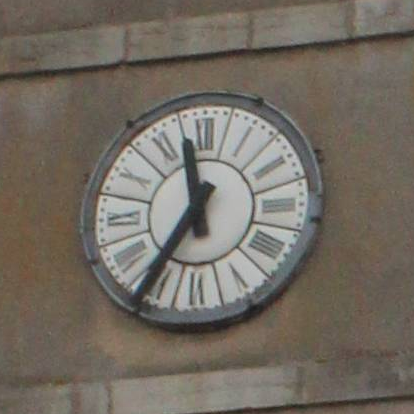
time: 11:35
